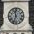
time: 11:33
